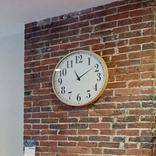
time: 11:09
